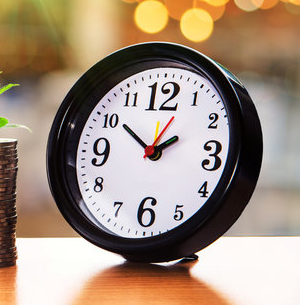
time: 1:51
